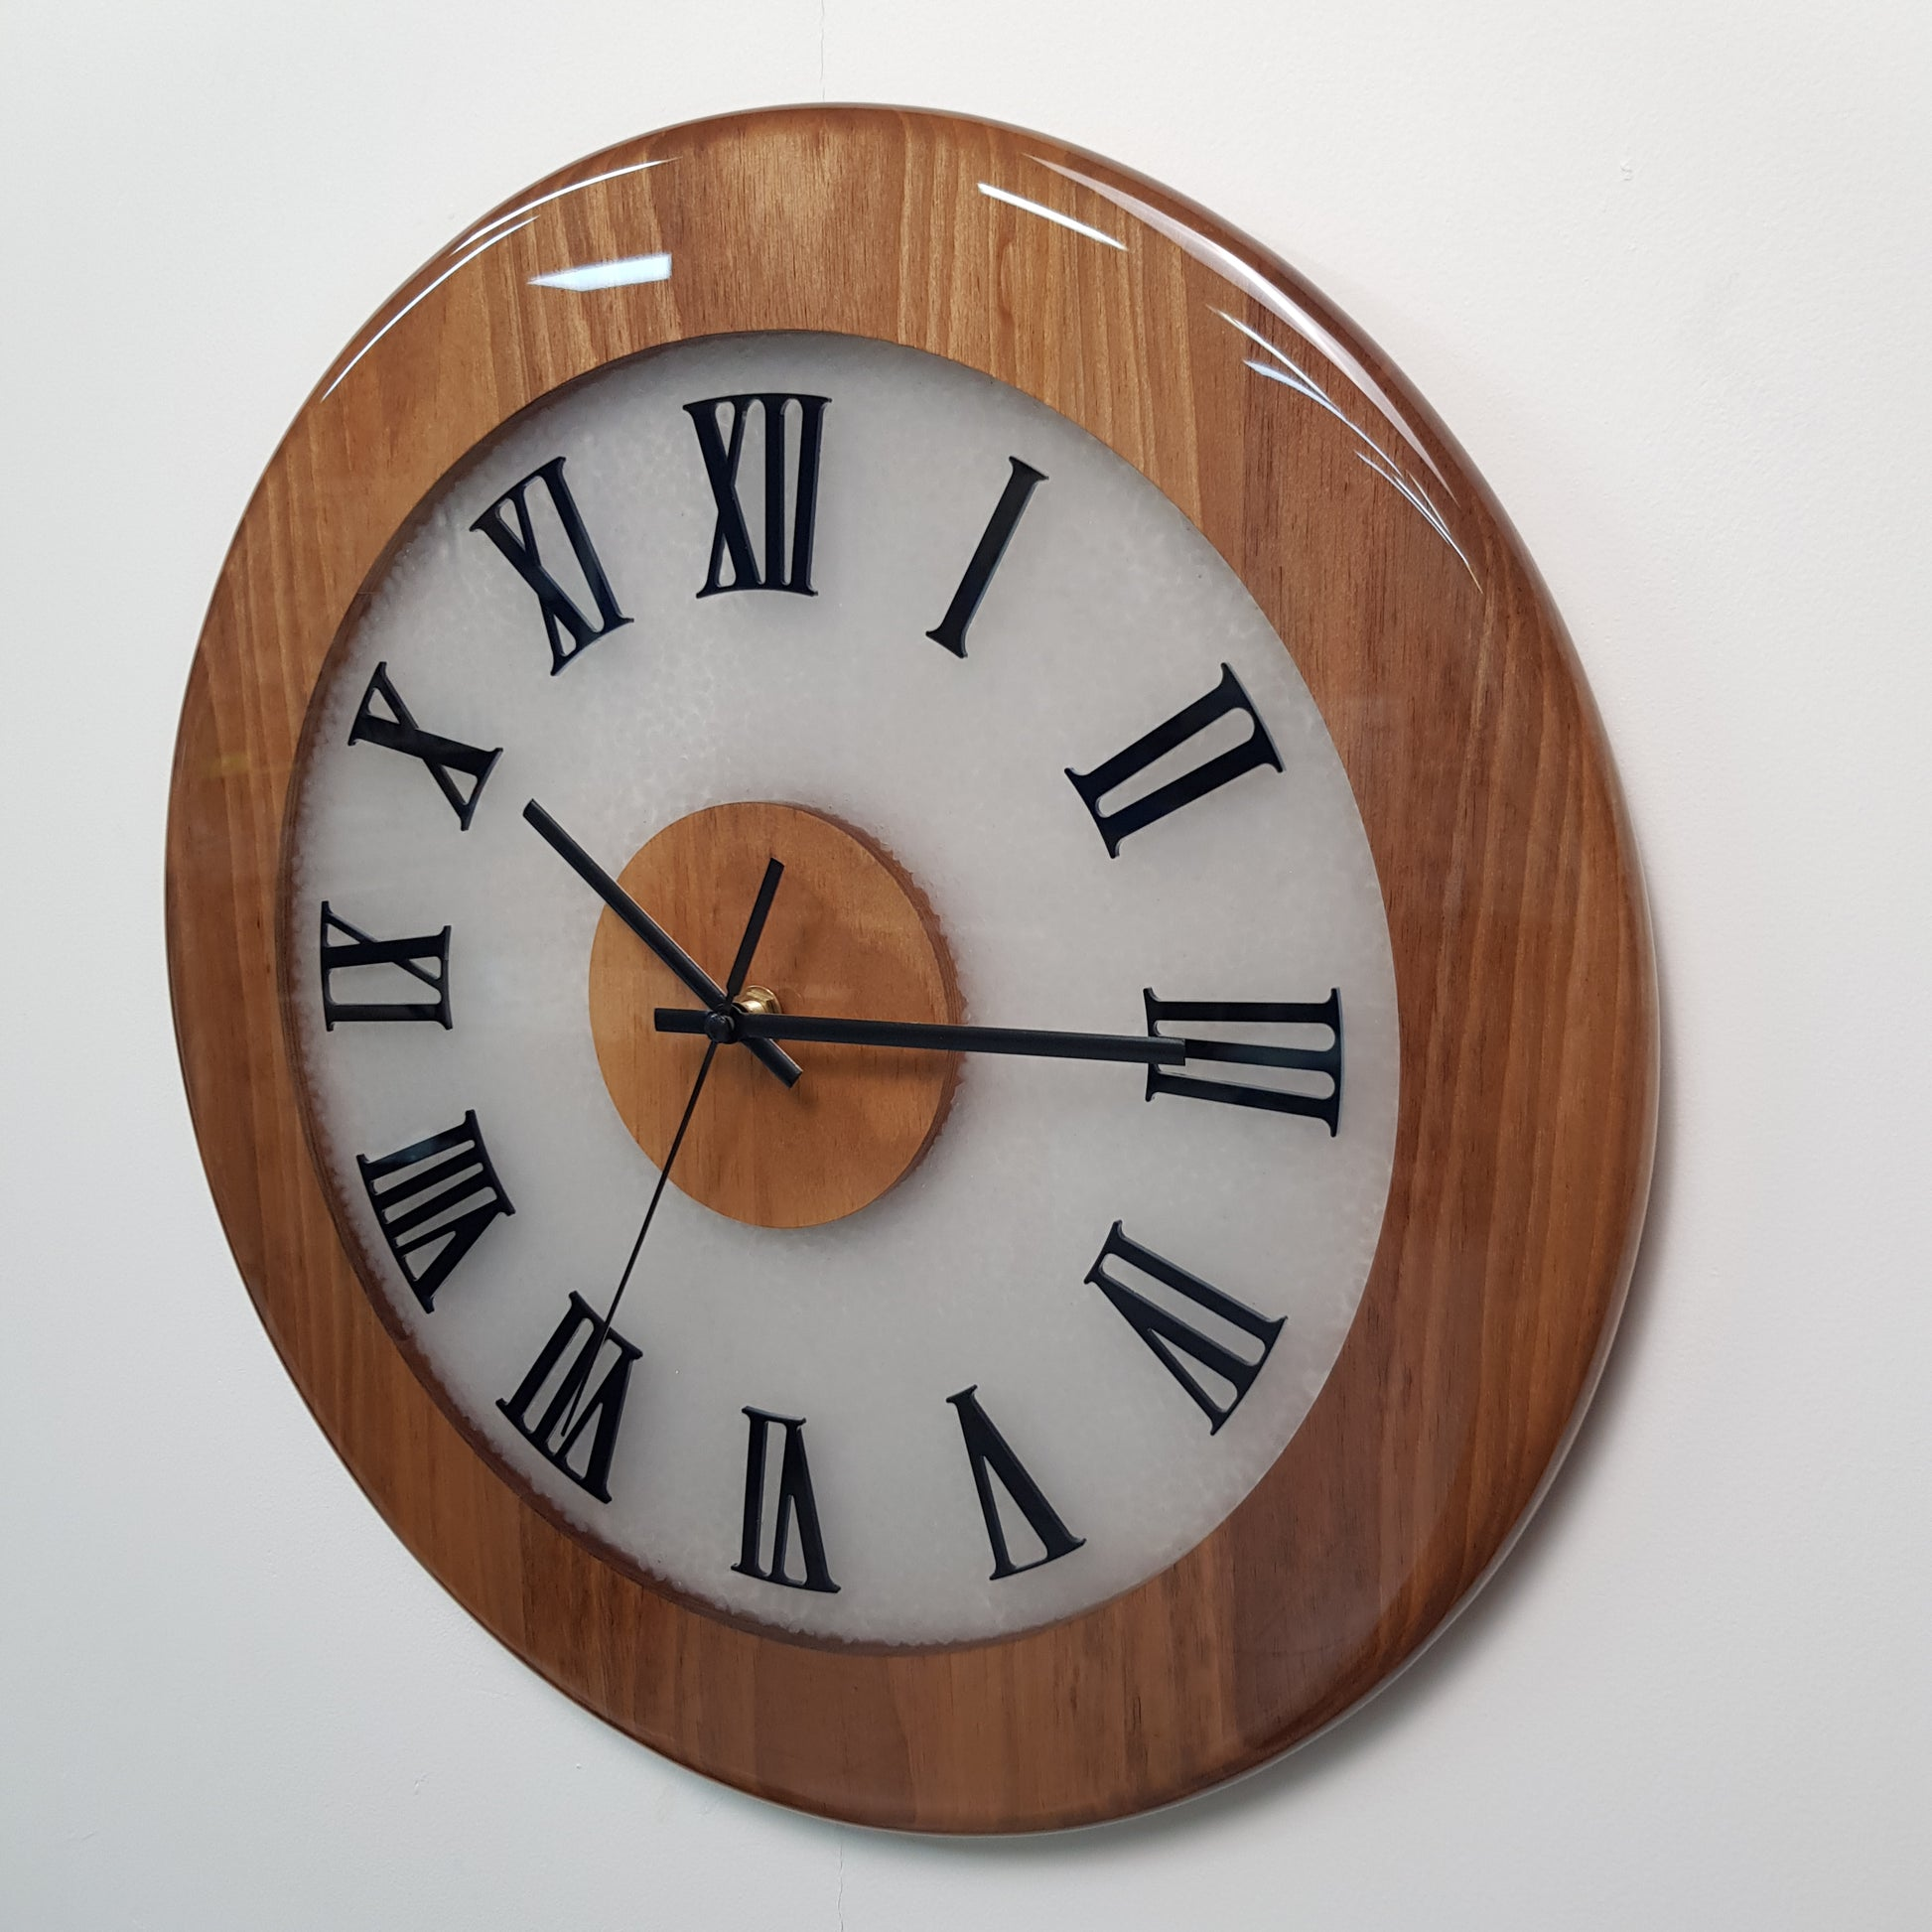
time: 10:14
